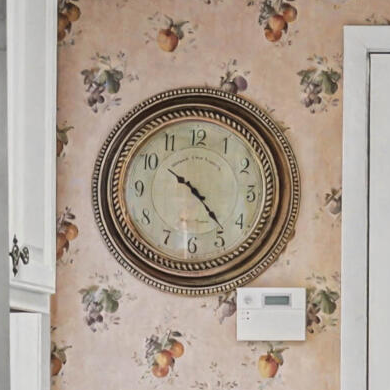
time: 10:23
